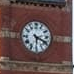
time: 5:18
